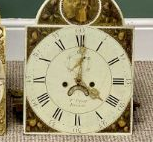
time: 4:01
